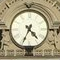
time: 4:34
